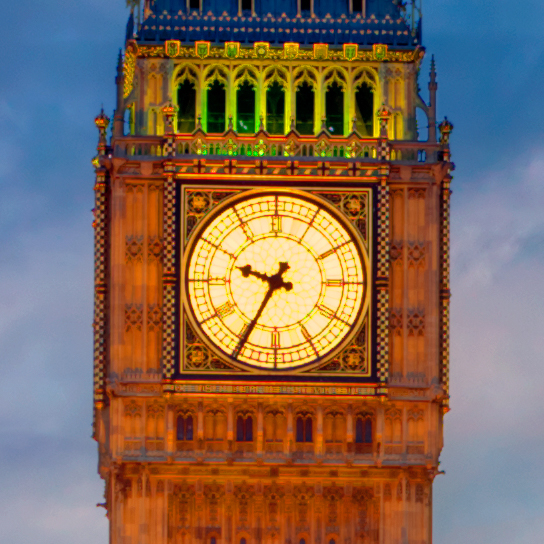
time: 9:34
